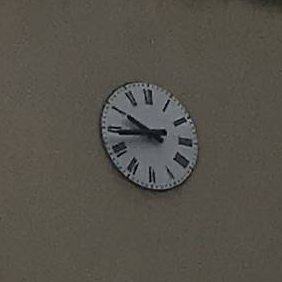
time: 9:43
